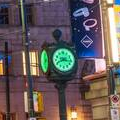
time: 3:40
